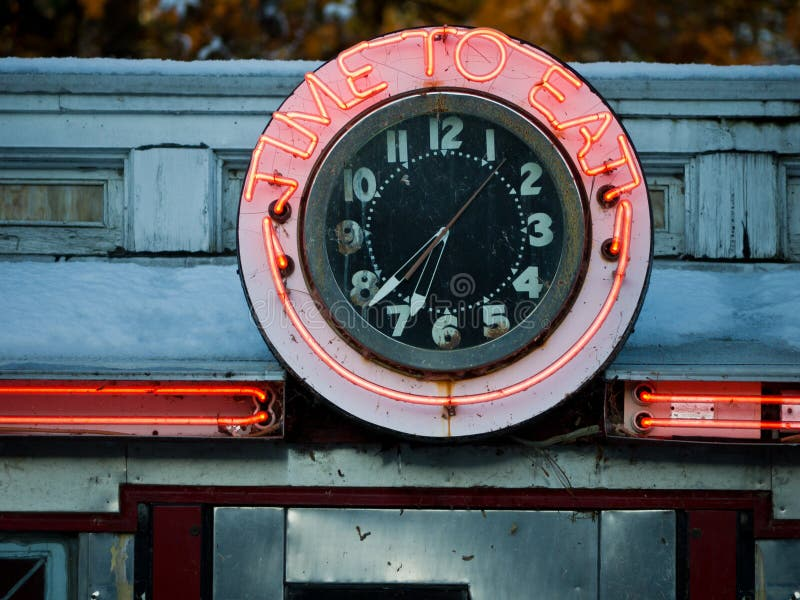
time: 6:37
